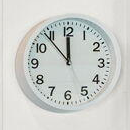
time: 11:53
